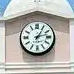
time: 1:12
